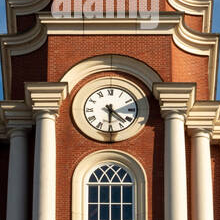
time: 4:30
